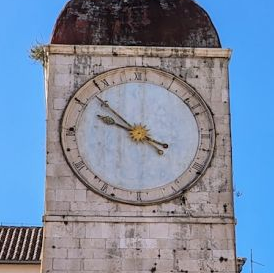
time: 9:52
